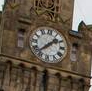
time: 1:37
